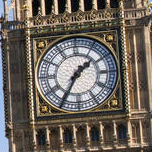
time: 1:35
